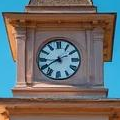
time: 8:39
